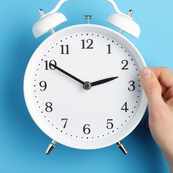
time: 2:50
